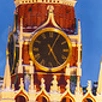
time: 5:04
